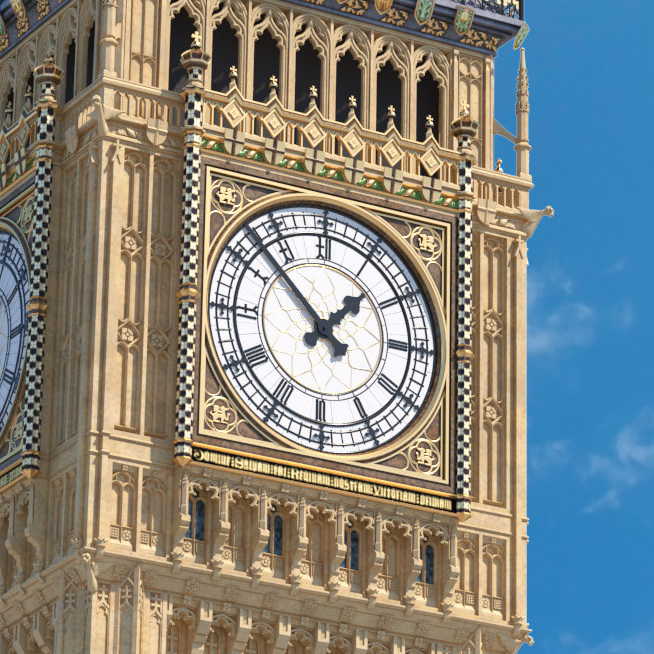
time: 1:52
